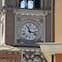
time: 11:17
